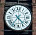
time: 4:36
